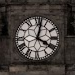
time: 4:02
